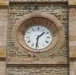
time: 1:31
